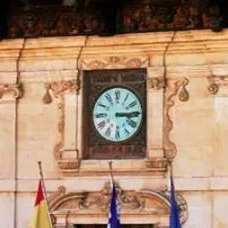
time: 3:14
